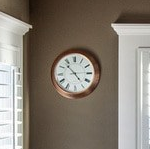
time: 4:52
